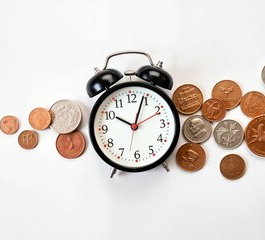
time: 10:04
